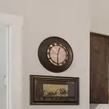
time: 12:30
